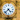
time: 4:37
